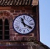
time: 11:20
